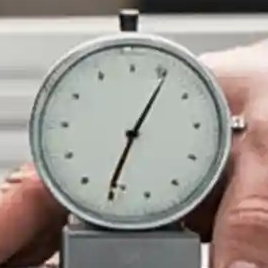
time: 7:05
